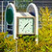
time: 1:36
